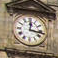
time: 12:16
